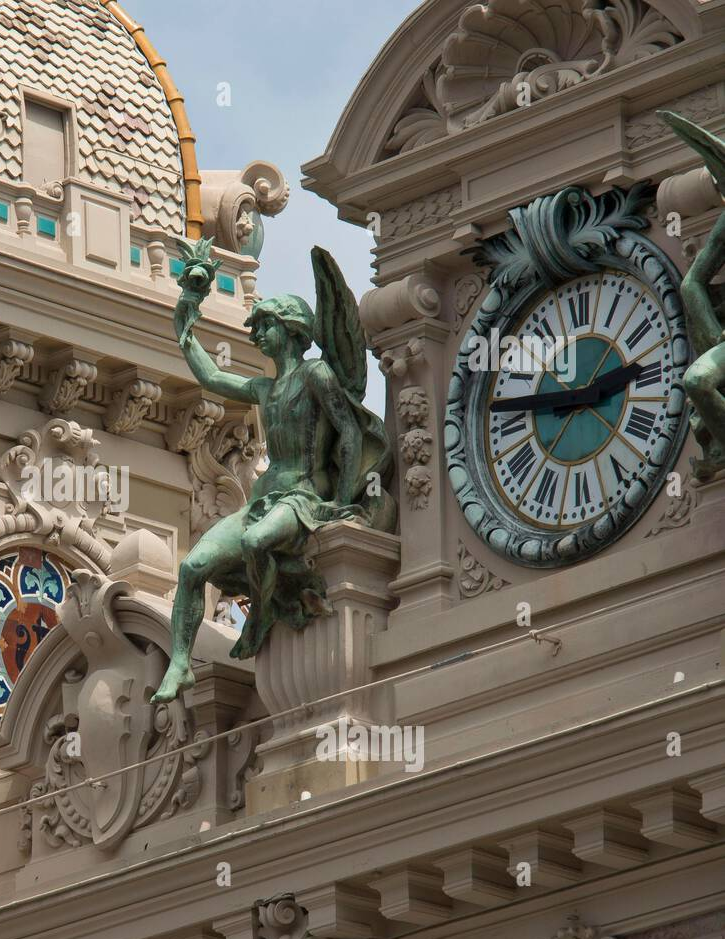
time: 2:46
